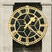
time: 1:21
